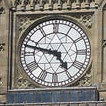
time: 4:47
